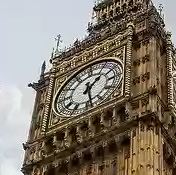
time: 1:28
